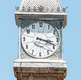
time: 3:18
